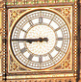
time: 8:45
